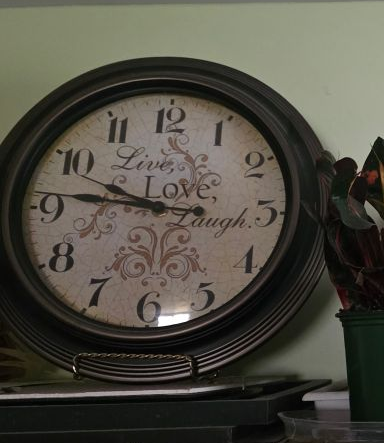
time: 9:46
